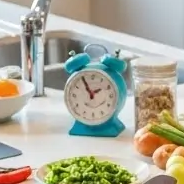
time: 1:55
